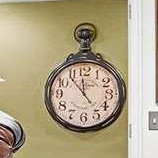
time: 11:53
